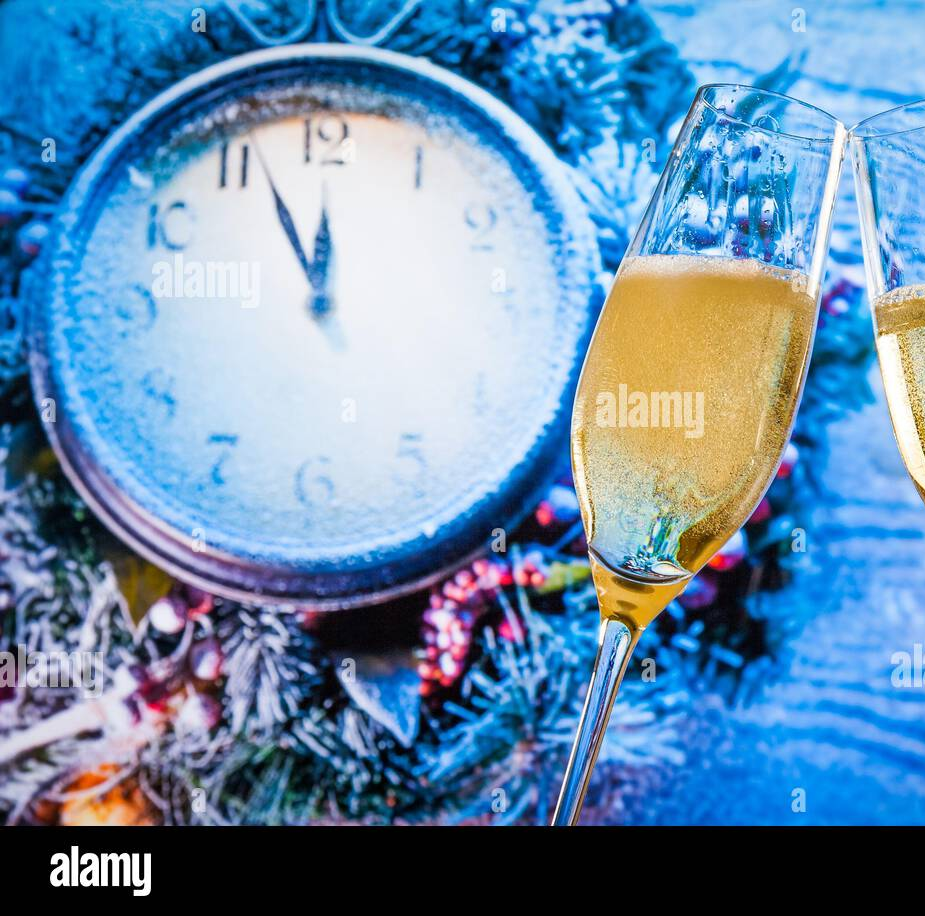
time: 11:55
